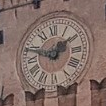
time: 12:48
